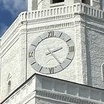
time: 2:24
